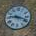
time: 9:18
